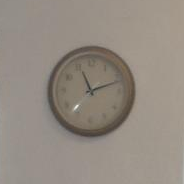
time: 11:11
